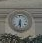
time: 6:29
